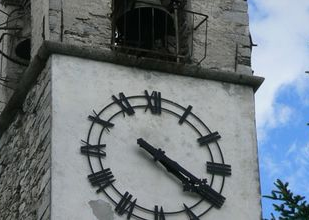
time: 4:20
